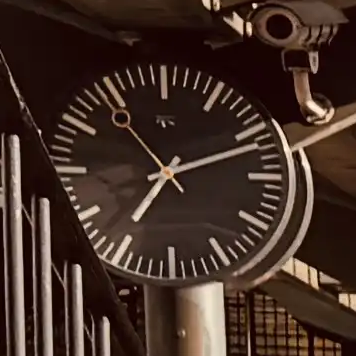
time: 7:11
